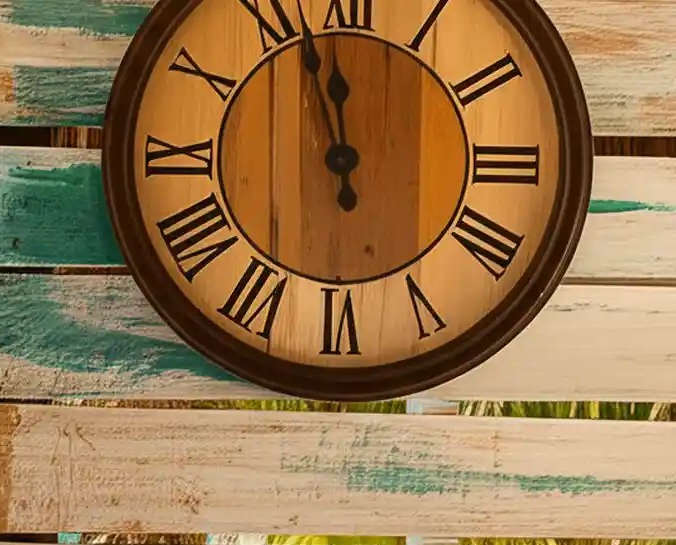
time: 11:57
